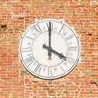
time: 4:00
